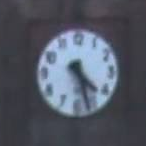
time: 4:26
